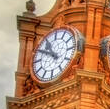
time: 10:50
